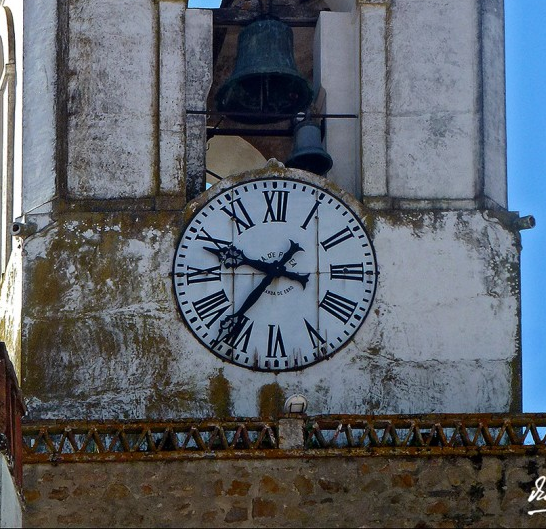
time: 9:36
